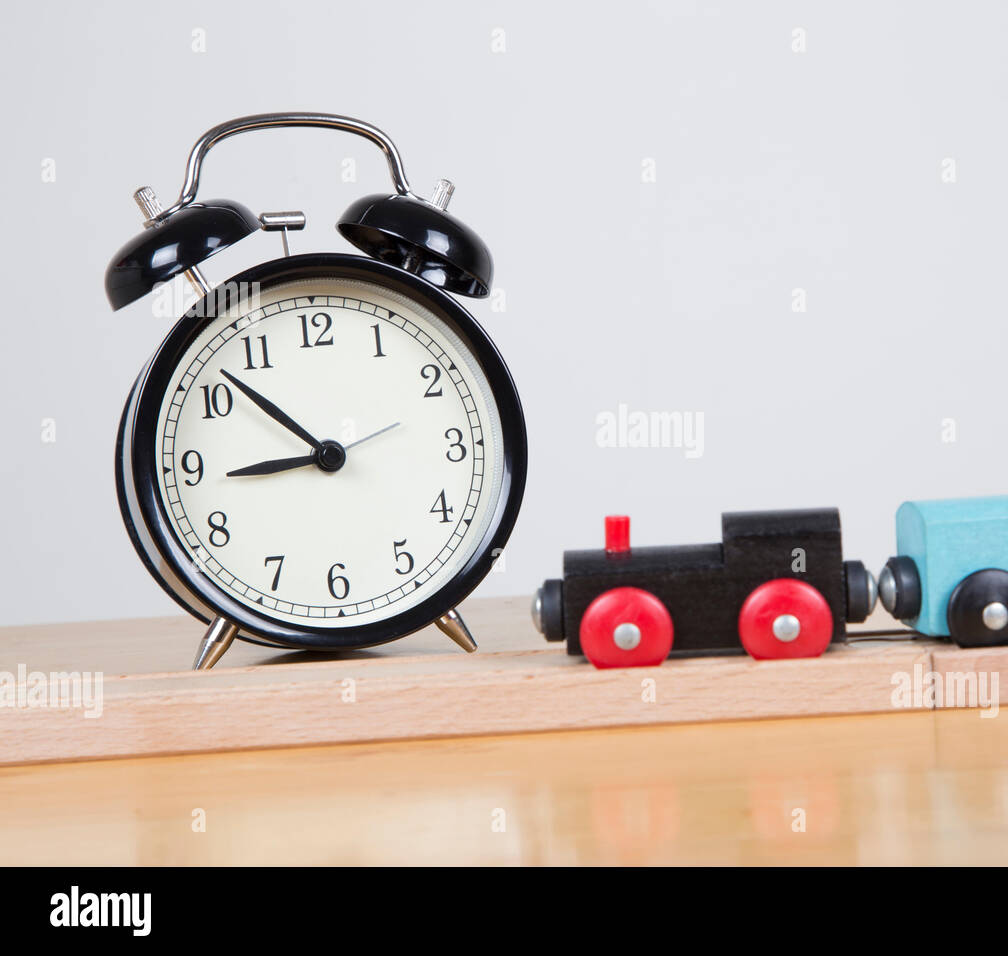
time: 8:52
